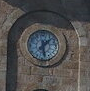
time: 1:28
